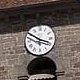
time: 3:50
